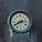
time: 2:40
